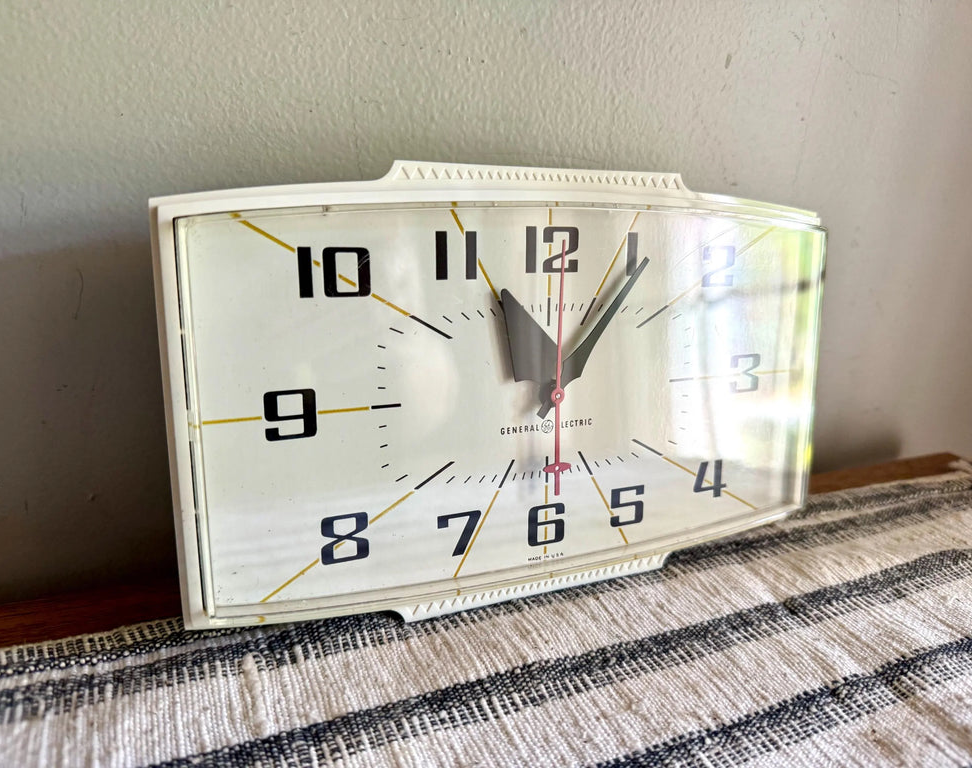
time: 11:05
